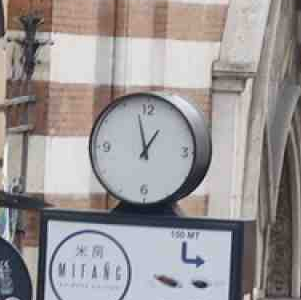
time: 12:57
